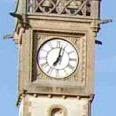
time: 7:02
